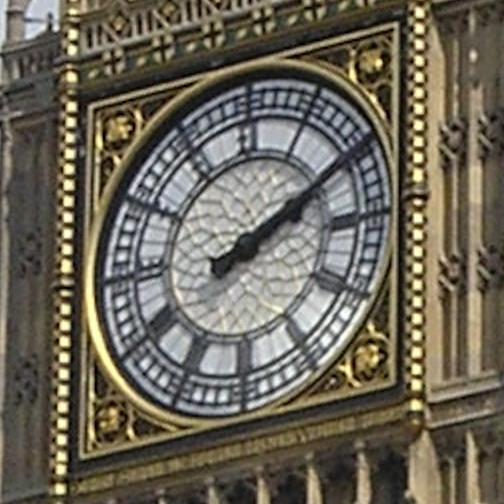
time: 2:10
